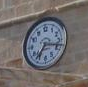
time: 7:17
